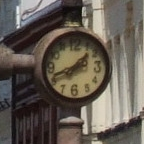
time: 1:41
